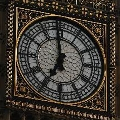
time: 6:58
